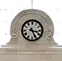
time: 3:25
